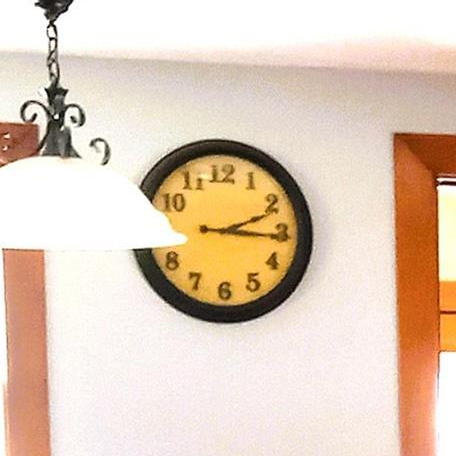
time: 2:15
